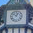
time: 12:52
